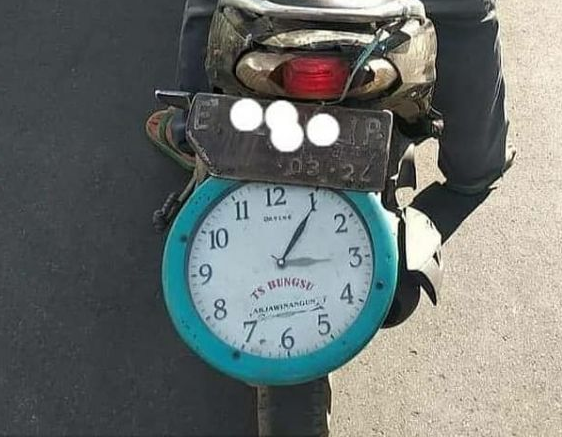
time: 1:05
